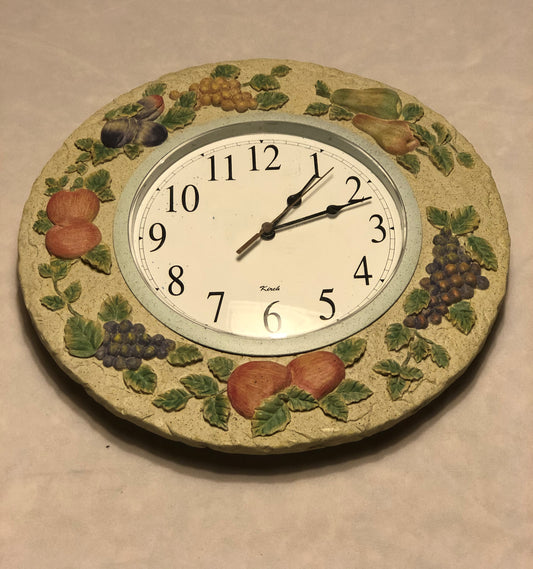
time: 1:11
